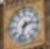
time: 2:33
